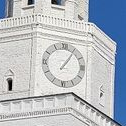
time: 1:05
